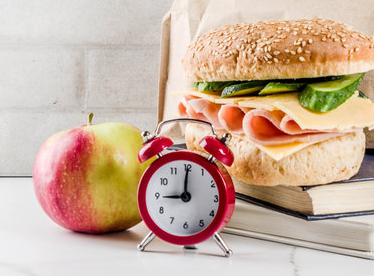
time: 9:00
